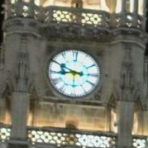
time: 8:49
